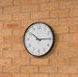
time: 10:14
